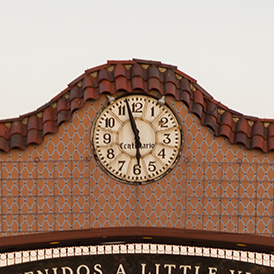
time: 5:57
